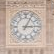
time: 3:04
